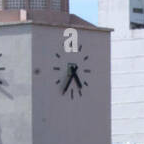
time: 4:35
